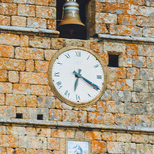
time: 6:19
